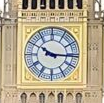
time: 10:15
